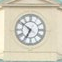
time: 6:51
